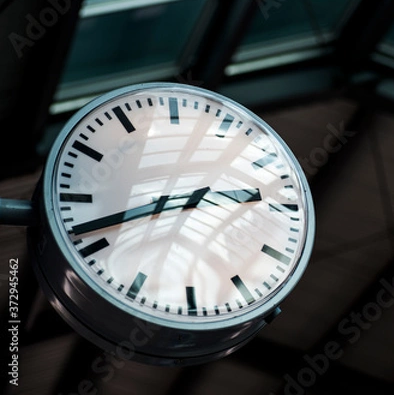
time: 2:42
